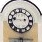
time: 2:46
